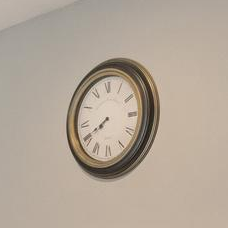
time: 7:40
